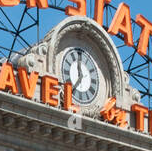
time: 11:36
